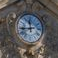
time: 11:44
